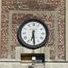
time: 6:28
